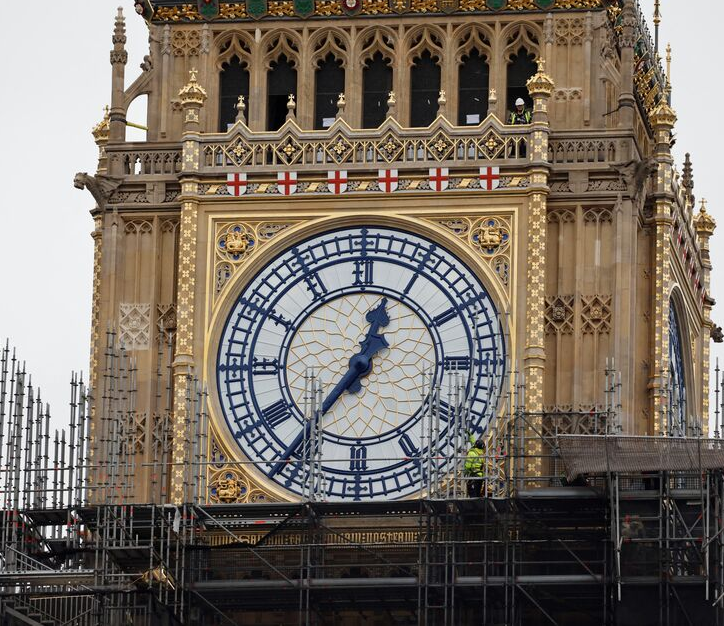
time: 12:36
